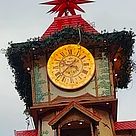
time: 1:37
